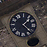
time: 1:22
